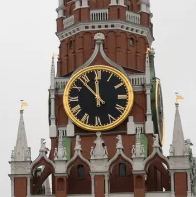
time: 11:53
